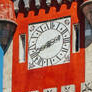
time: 8:11
